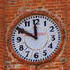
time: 11:49
